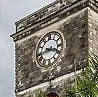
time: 3:43
